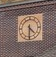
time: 4:30
